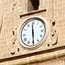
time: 5:59
